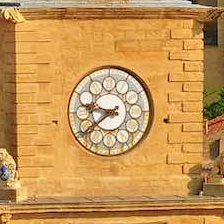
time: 9:39
